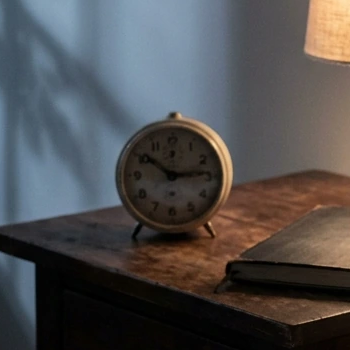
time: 10:13
